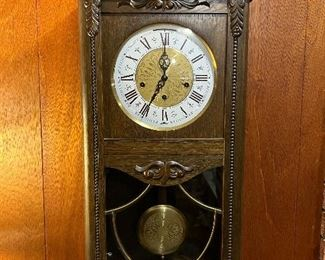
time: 7:00
